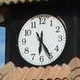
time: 6:24
